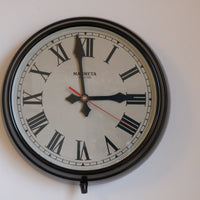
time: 2:58
